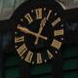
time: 12:49
